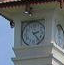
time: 2:23
